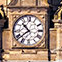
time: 10:38
